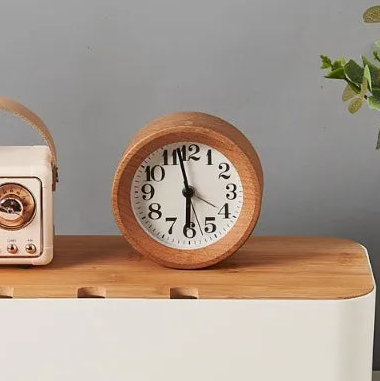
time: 5:57
